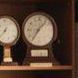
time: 7:07
